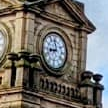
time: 8:58
